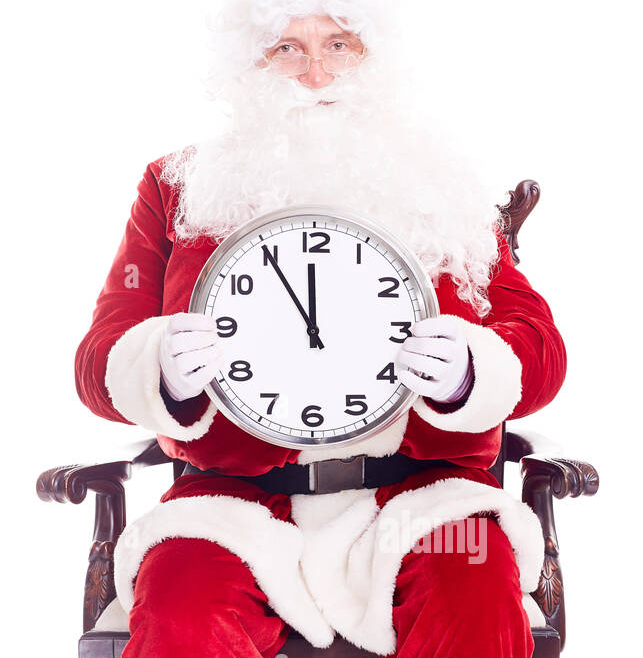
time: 11:54
